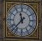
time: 11:37
